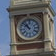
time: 10:52
